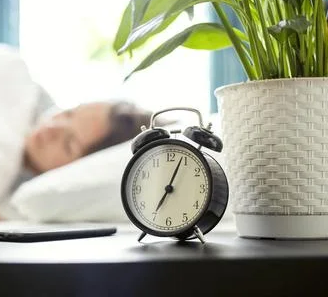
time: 7:04
